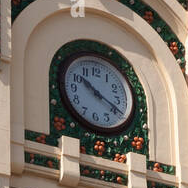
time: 10:19
